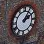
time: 2:06
